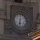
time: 6:01
